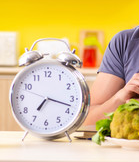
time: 7:17
